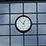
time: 12:52
